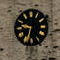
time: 9:33
